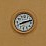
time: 8:12
